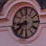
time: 8:38
